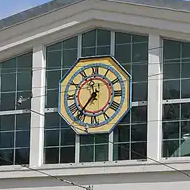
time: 11:36
